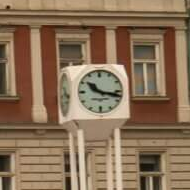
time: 10:17
